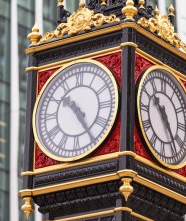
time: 10:24
